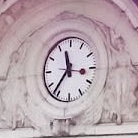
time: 11:36
